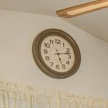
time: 5:12
